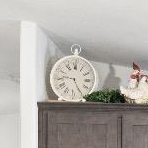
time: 9:25
